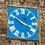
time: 12:50
